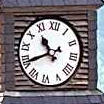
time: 10:40
